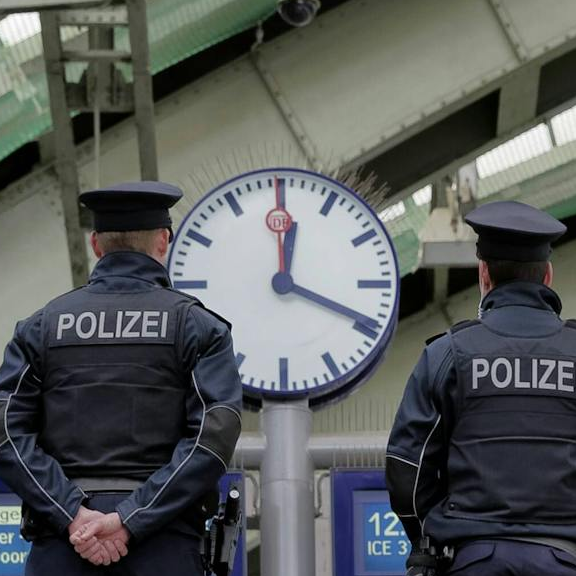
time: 12:18
